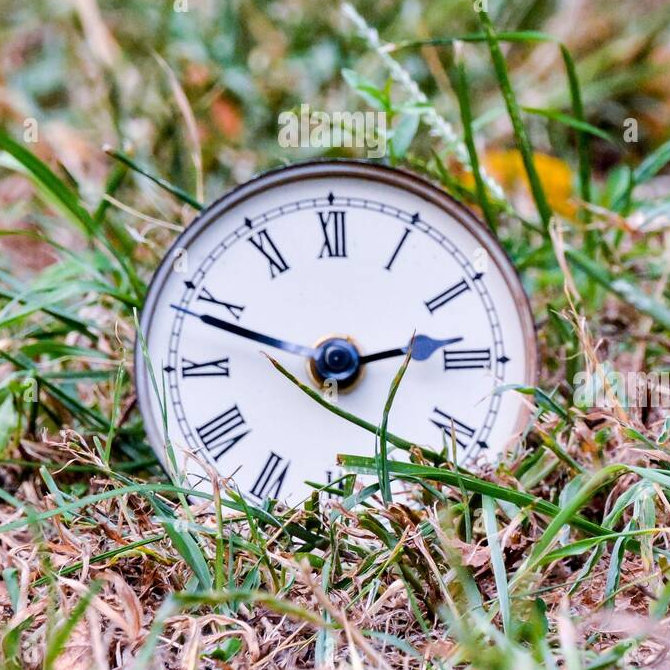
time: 2:48
